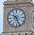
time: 10:26
